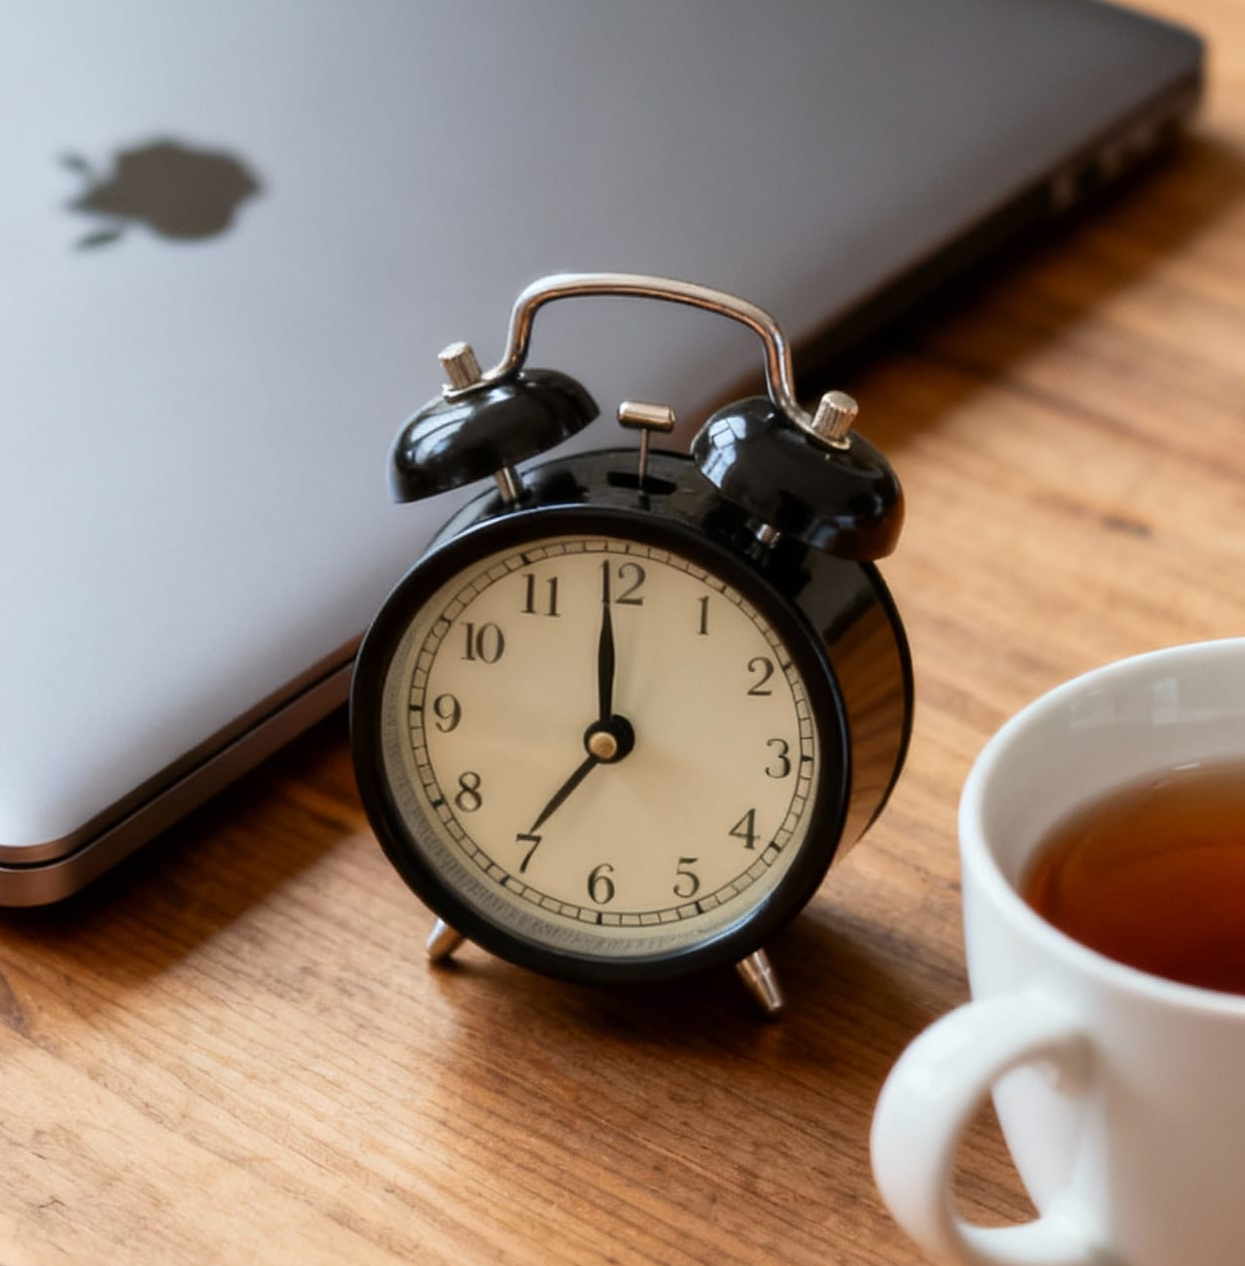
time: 6:59
